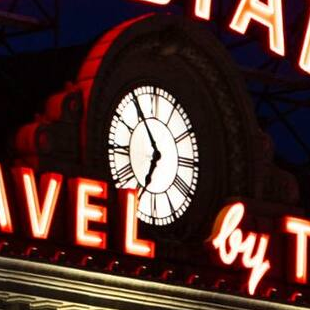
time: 6:54
